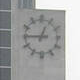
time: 12:45
